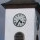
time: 4:36
